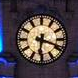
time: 6:18
